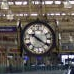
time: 10:20
